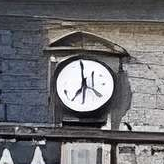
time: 6:59
